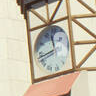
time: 11:42
